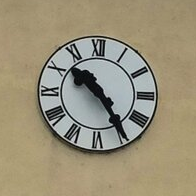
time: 10:24
